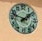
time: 1:47
